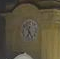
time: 6:25
